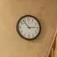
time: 2:53
